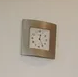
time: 12:24
